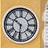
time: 10:31
